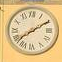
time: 8:09
